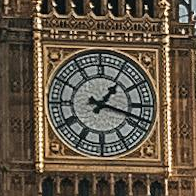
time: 1:18
